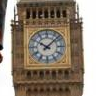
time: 10:07
